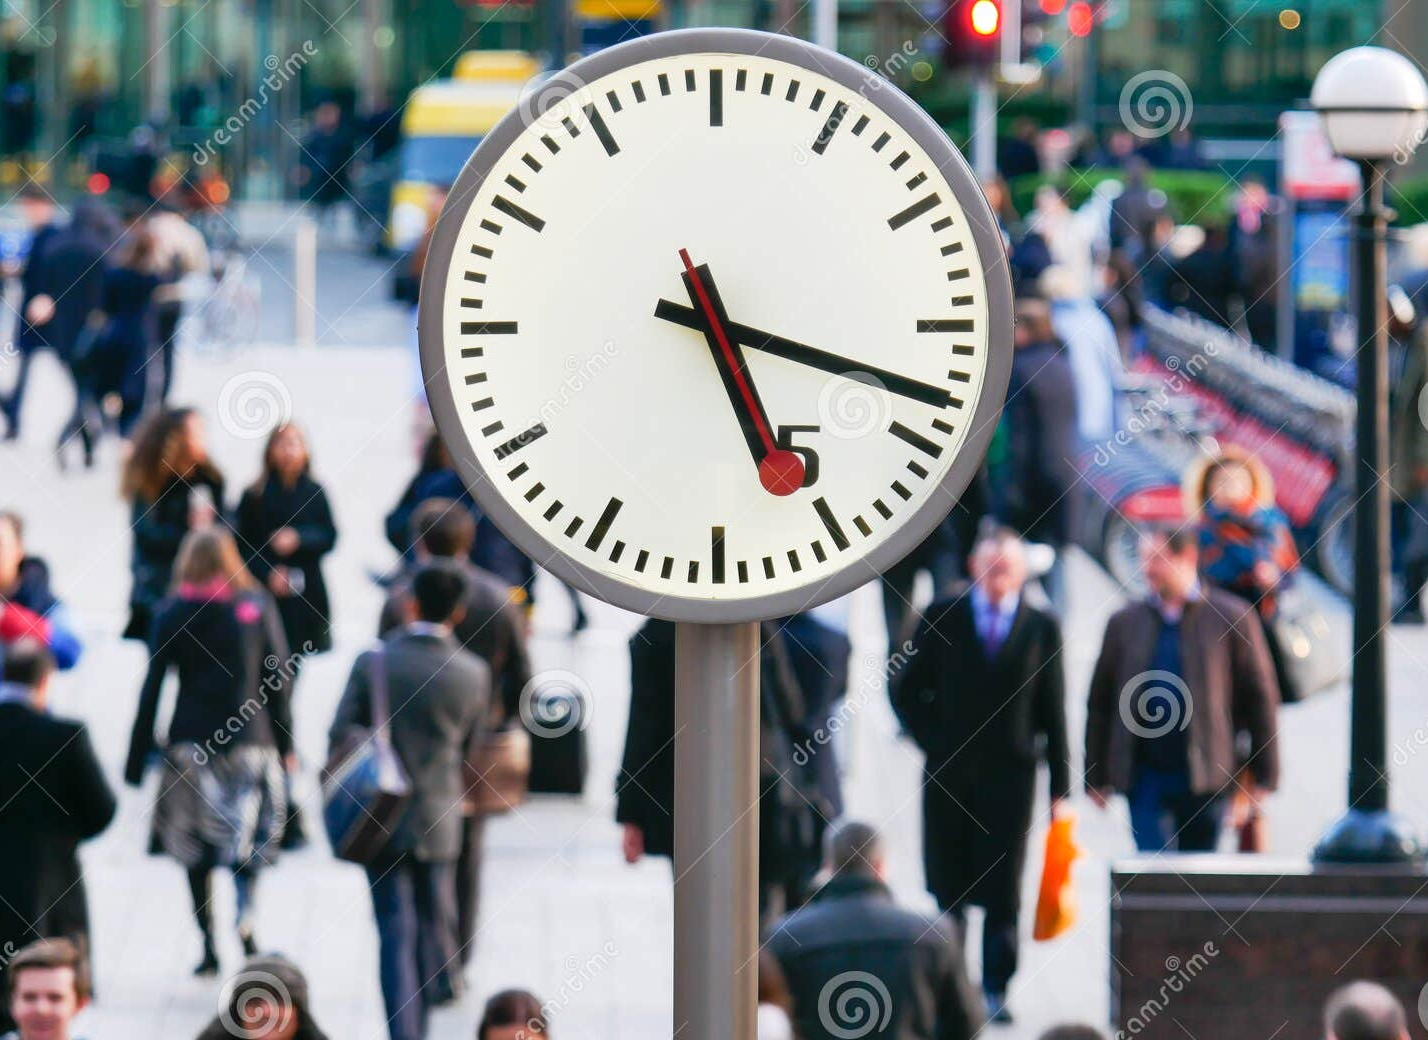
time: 5:18
